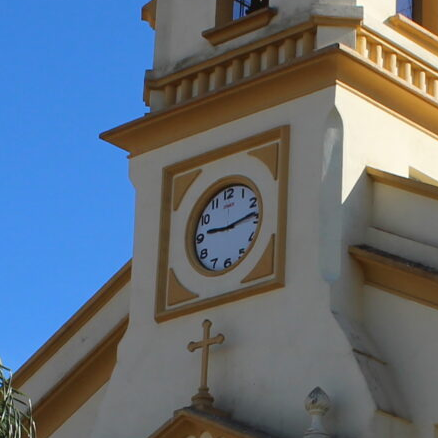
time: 9:13
